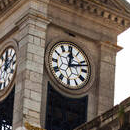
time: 12:12
